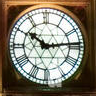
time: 10:13
